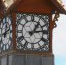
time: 1:13
